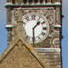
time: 1:30
